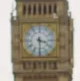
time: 3:29
